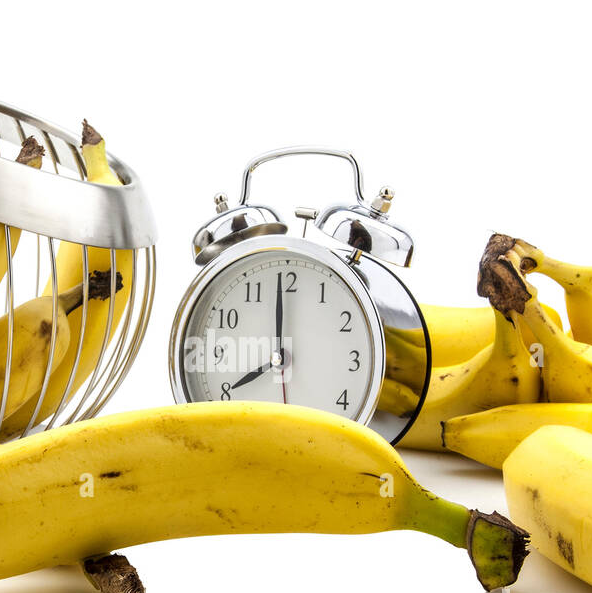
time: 7:59
